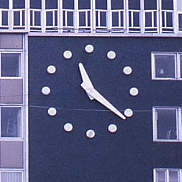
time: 11:21
